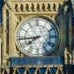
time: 7:43
